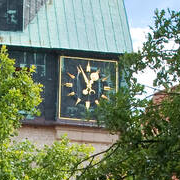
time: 12:55
